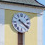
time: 10:21
